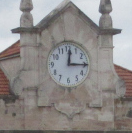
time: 12:15
